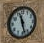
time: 11:28
